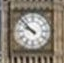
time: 9:52
